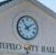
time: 1:53
